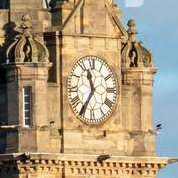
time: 11:35
